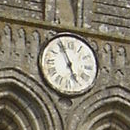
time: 4:56
